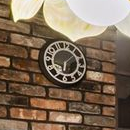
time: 6:08
